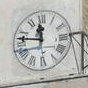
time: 11:46
